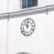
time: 11:02
